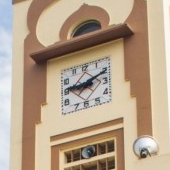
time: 9:10
